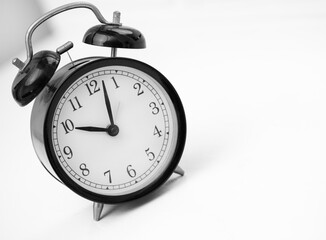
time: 10:02
